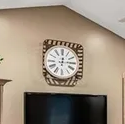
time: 12:14
